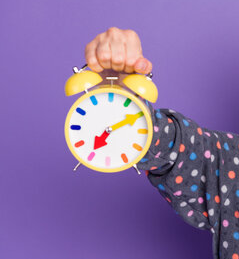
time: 7:10
